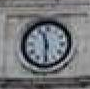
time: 11:29
